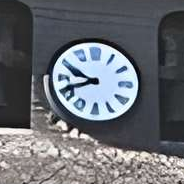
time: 9:41
